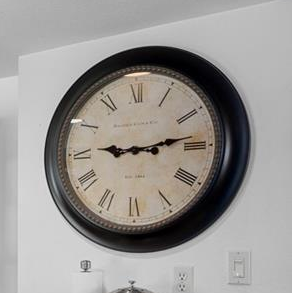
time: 9:13
